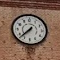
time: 7:37
